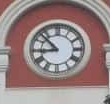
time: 8:52
